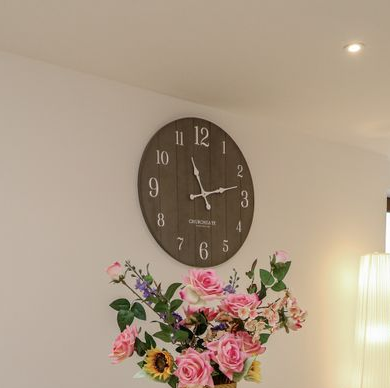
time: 11:12
